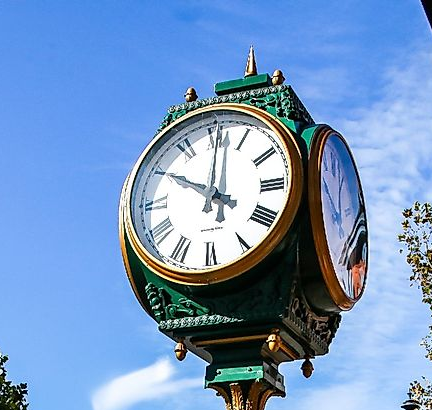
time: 10:00
